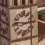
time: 2:46
